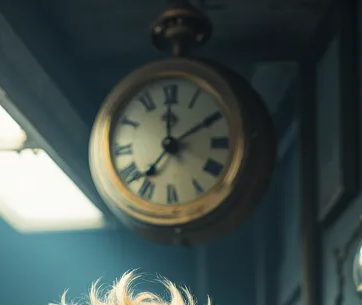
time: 12:09
